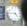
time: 4:45
